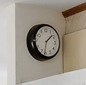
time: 1:31
